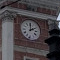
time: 2:00
